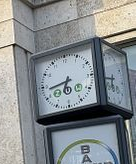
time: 6:43
